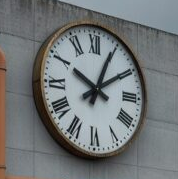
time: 10:04
